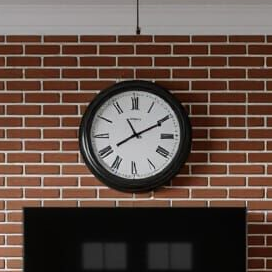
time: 11:10
